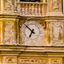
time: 6:52
